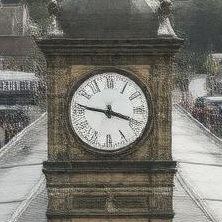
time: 3:46
